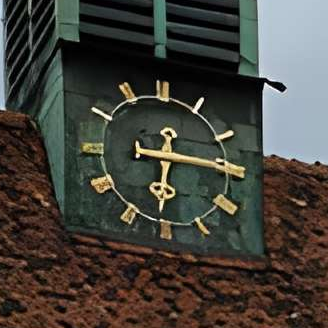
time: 6:15
